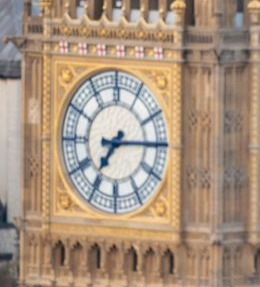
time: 7:14
